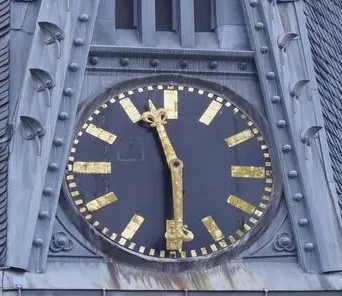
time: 11:29
